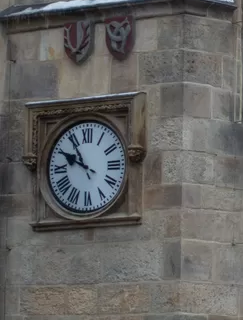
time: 9:54
